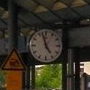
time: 4:57
